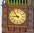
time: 8:53
